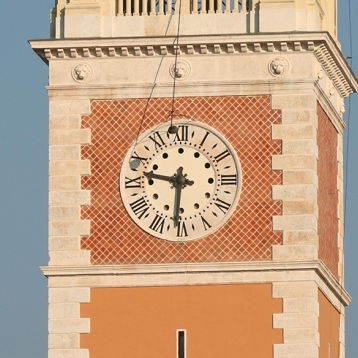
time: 9:31
